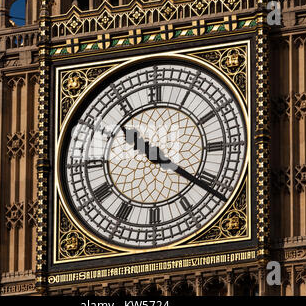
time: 10:20
